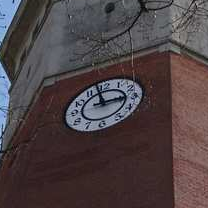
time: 2:58
